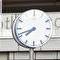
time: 7:41
